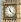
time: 11:22
